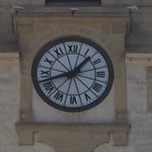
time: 1:42
